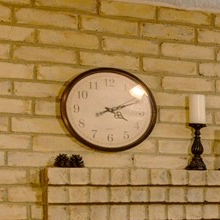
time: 4:11
